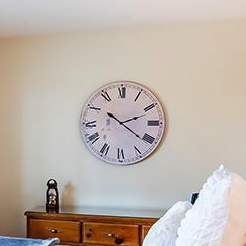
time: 2:21
